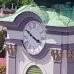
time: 3:50
